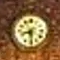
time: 8:29
